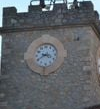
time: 3:39
